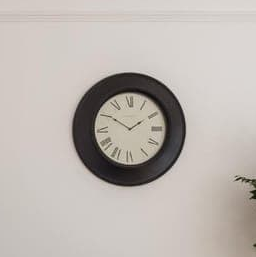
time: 1:50
